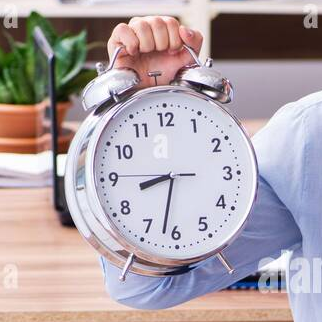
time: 8:32
